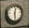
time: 12:28
